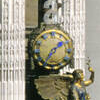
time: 1:36
